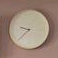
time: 9:38
